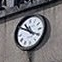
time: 10:50
